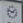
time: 1:47
